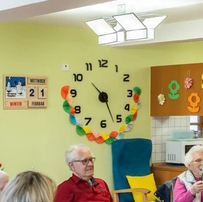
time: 10:26
